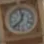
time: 12:38
